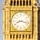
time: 8:17
